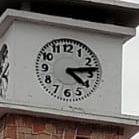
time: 4:13
